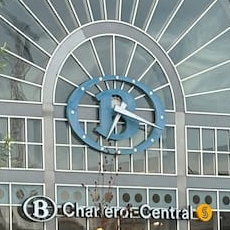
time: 6:18
